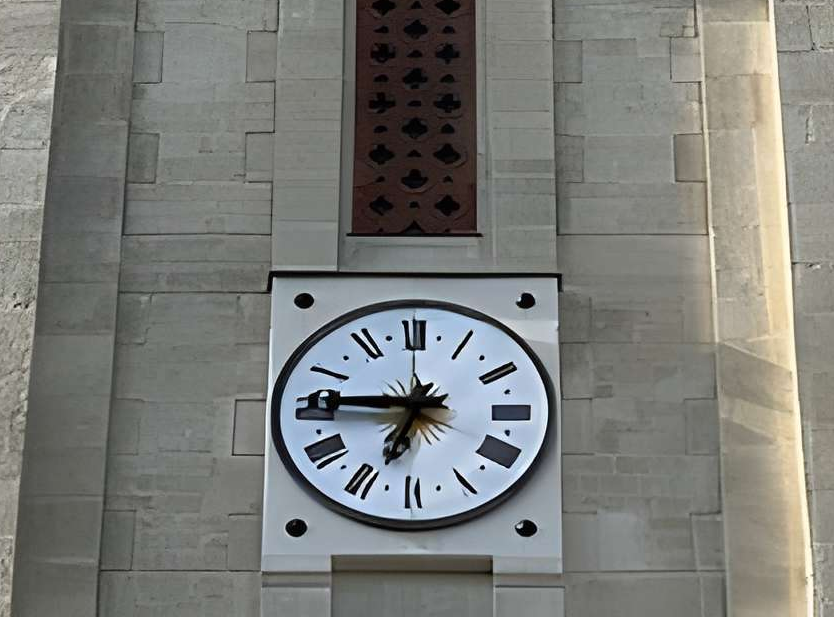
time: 6:45
